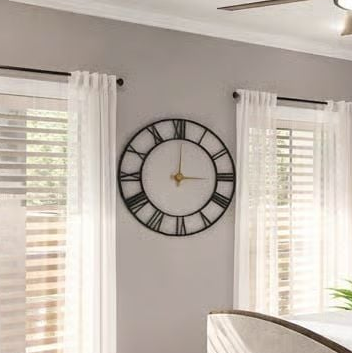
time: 3:00
